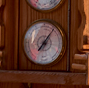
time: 7:06
